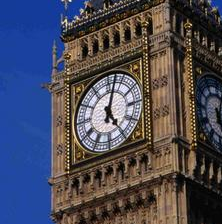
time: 5:03
